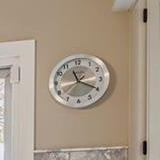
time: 11:19
